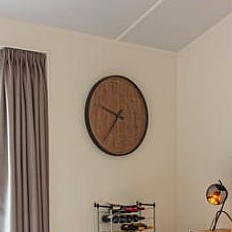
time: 9:36
